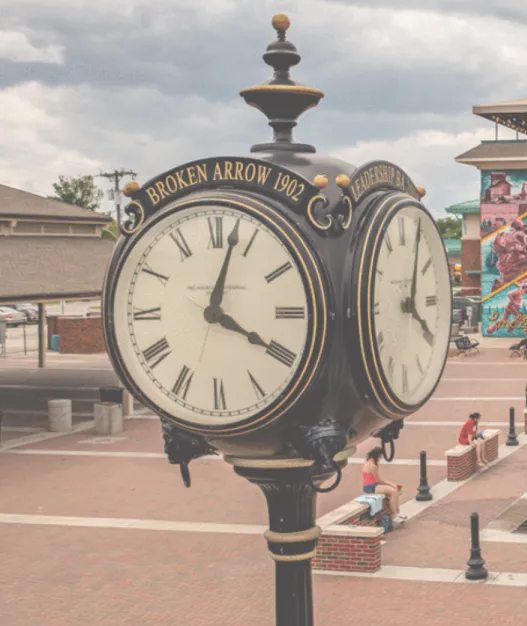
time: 4:02
